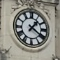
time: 1:20
